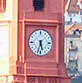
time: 5:33
